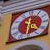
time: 4:31
